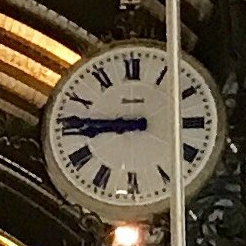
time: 8:45
